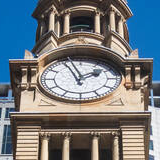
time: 1:56
